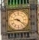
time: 9:21
